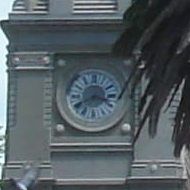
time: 3:40
